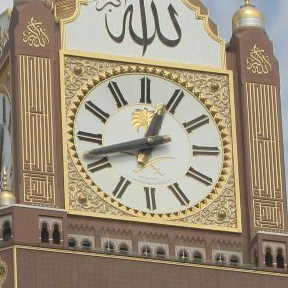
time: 12:42
